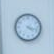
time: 4:17
